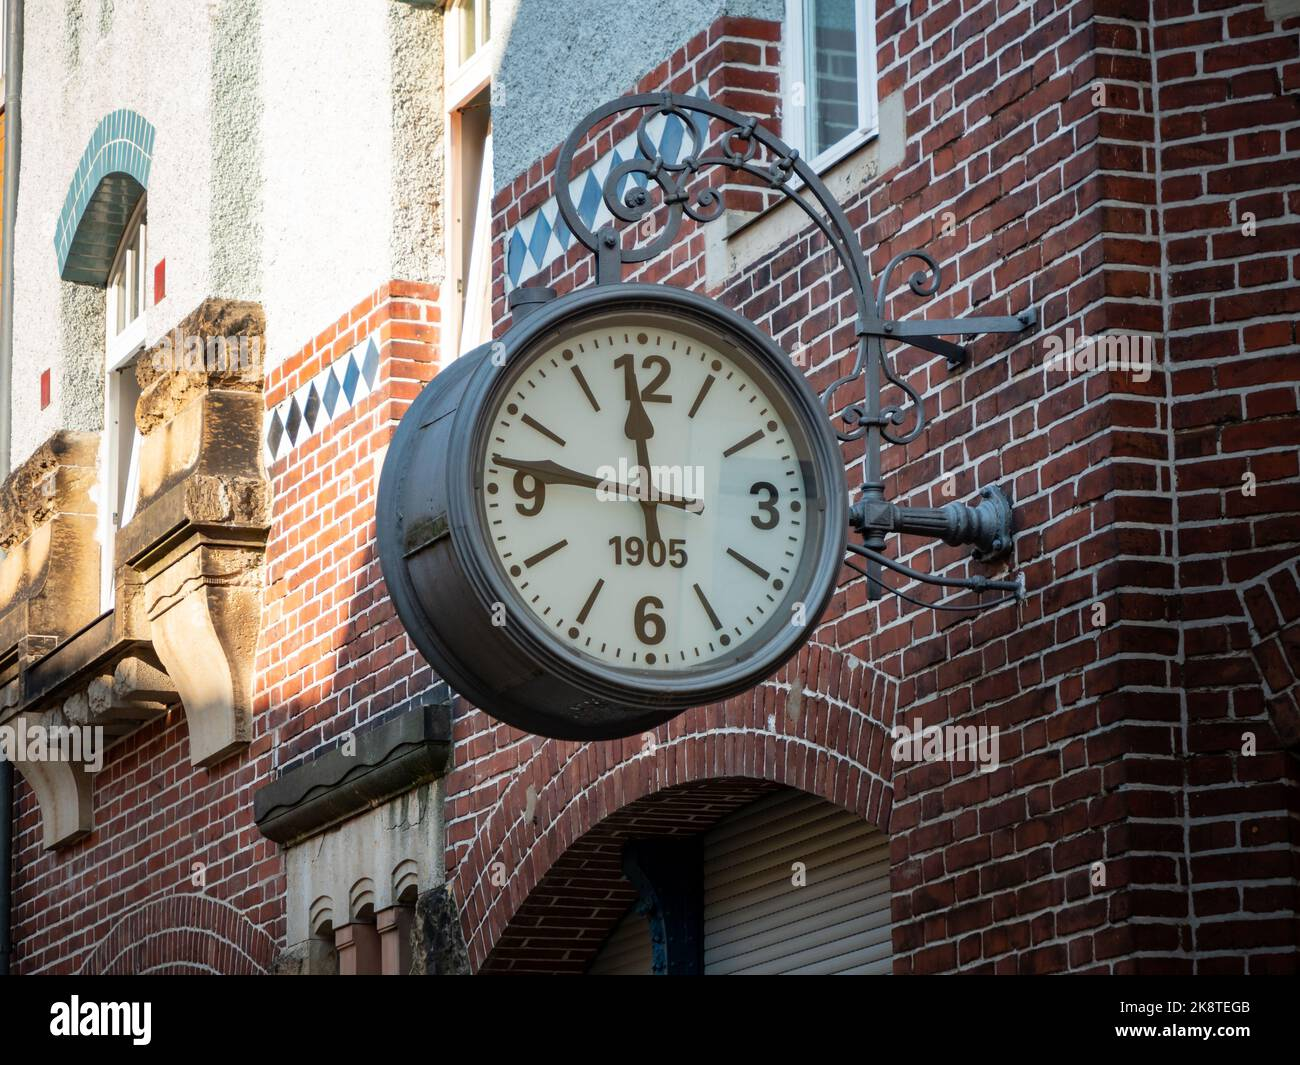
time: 11:46
